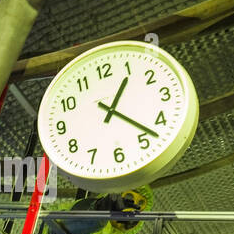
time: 1:22
